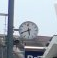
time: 5:40
